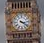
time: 3:21
